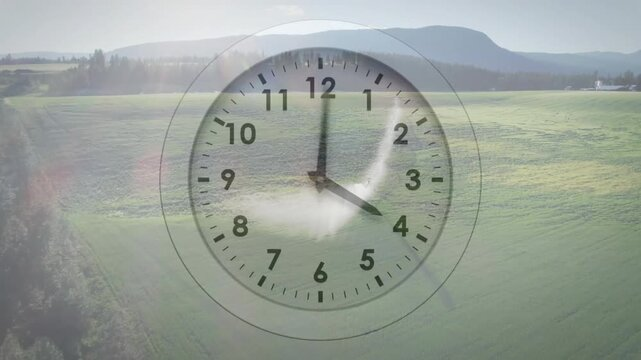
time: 4:00
